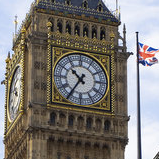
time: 10:35
